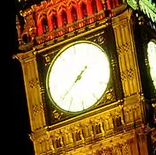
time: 1:38
